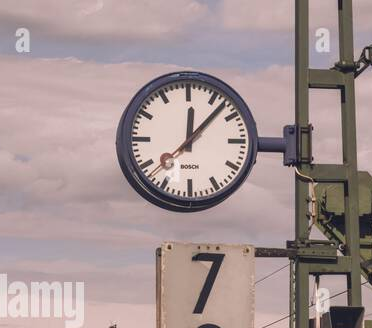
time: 12:07
